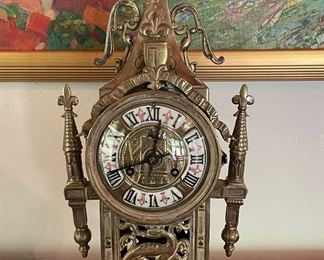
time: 8:01
